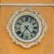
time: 4:35
